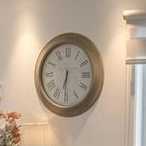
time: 6:30
